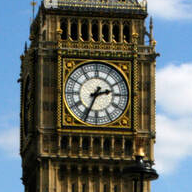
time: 2:34
